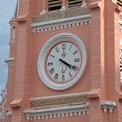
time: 4:19
